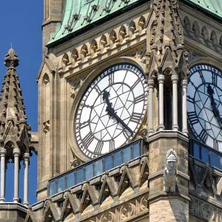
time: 11:22
